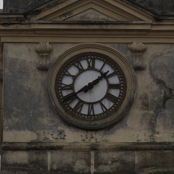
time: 1:39
